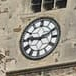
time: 9:11
